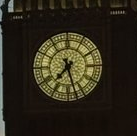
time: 7:27
